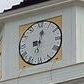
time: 9:02
